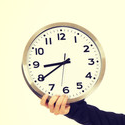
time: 8:39
